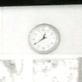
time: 12:39
